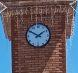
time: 1:50
